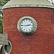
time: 2:45
